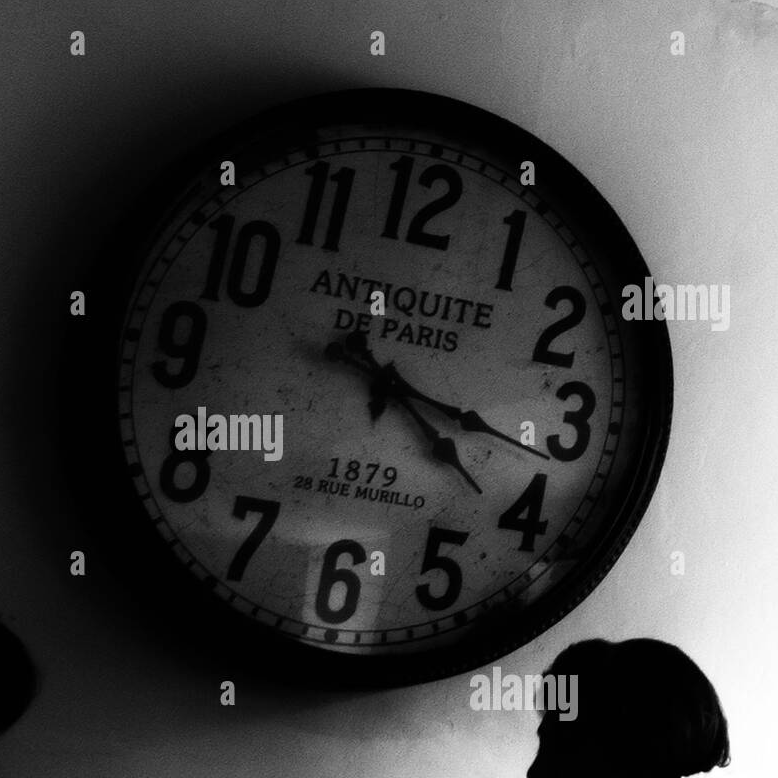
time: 4:17
